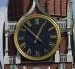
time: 12:52
